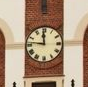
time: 11:46
